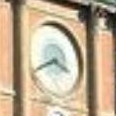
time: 3:40
